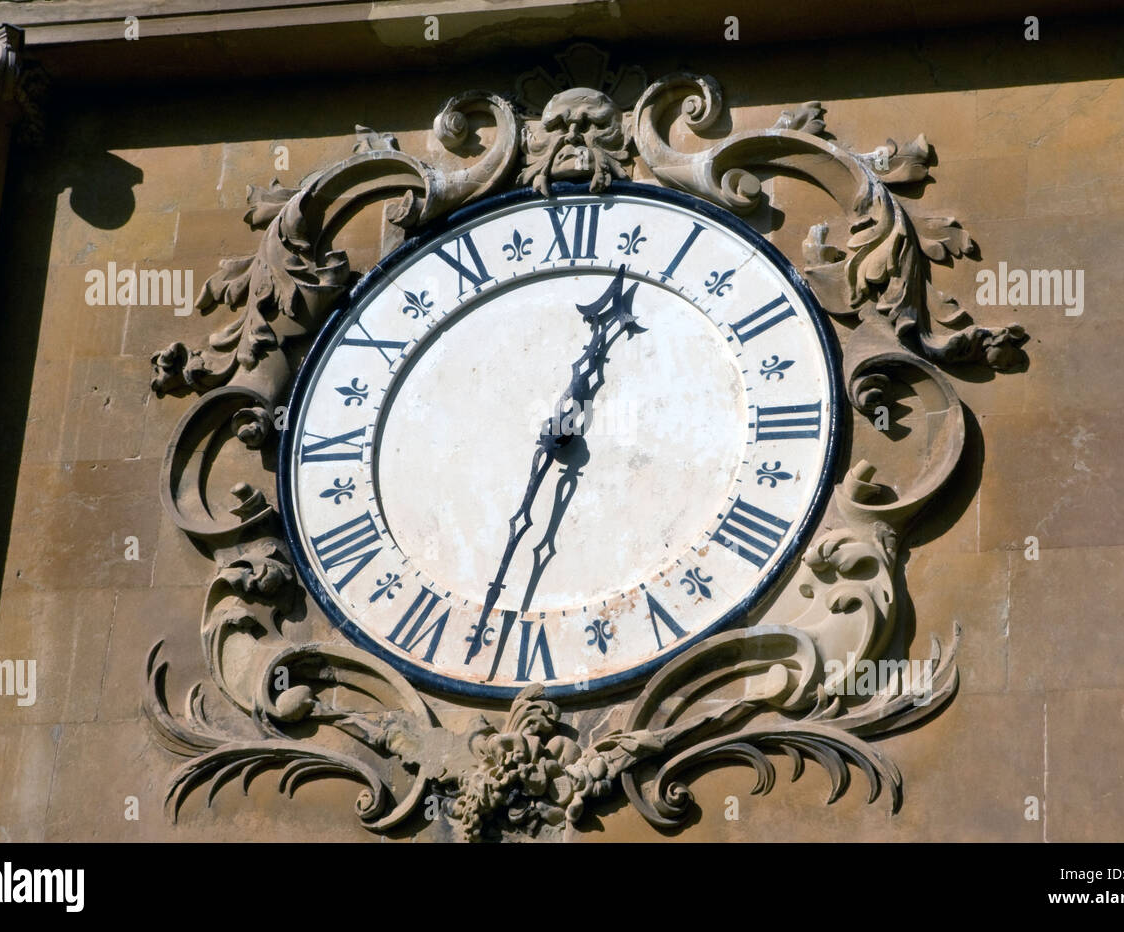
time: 12:32
